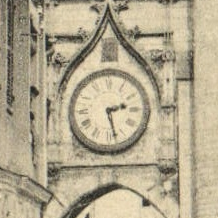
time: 2:27
